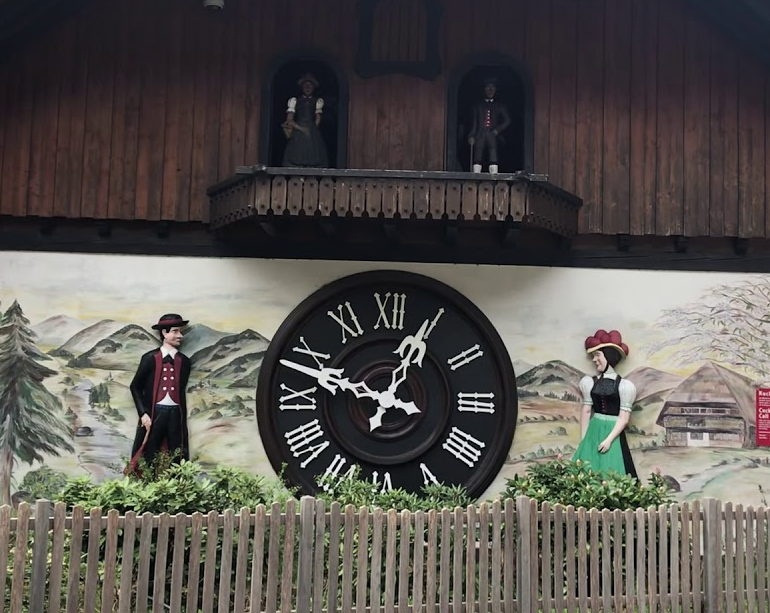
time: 12:48
